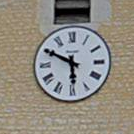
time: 5:49
